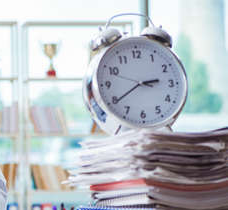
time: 2:39
